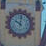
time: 10:00
